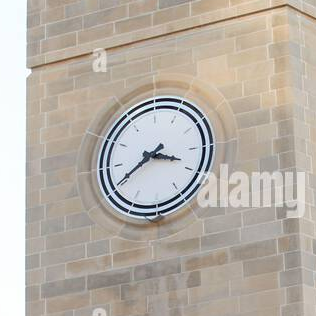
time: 3:40
